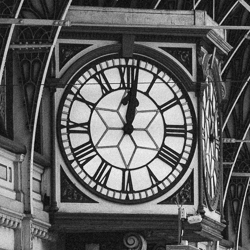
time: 12:01
